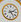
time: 2:23
